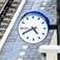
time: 4:40
